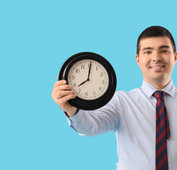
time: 8:00
